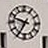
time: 9:35
